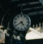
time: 4:40
